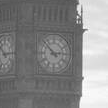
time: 2:52
